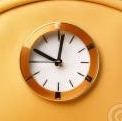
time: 10:01
